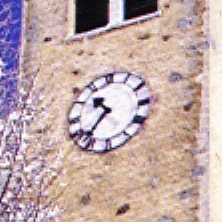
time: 10:37
